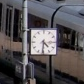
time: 4:31
